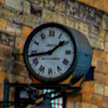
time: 1:43
